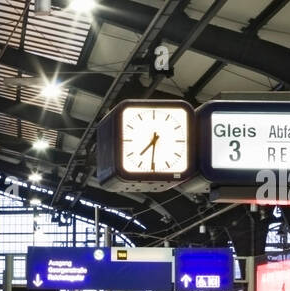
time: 7:30
